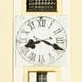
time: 8:18
